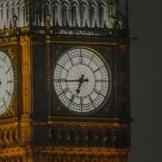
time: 6:44
